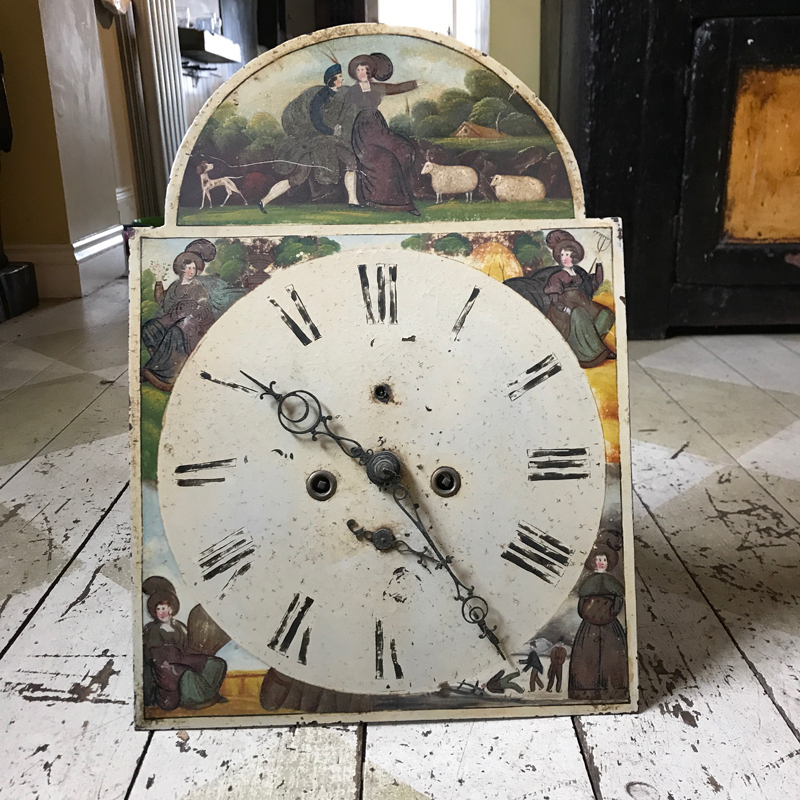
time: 4:50
